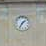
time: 1:35
